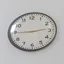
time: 2:45
